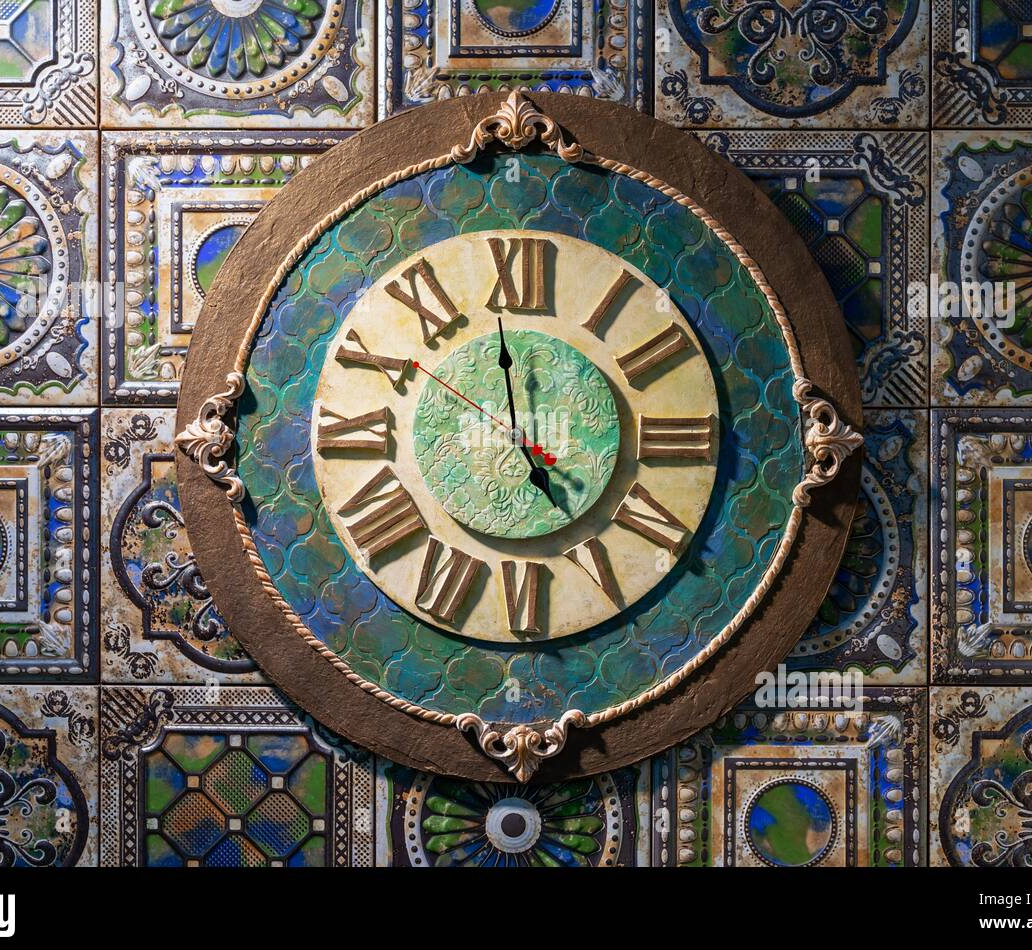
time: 4:58
